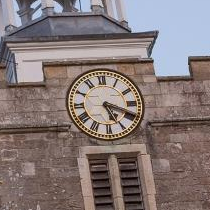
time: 5:18
